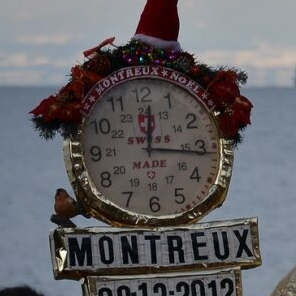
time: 12:16
